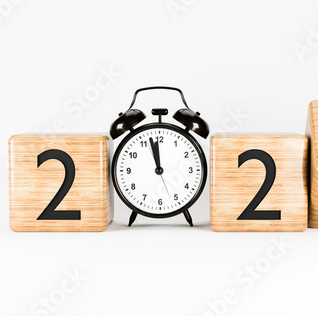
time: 11:57
